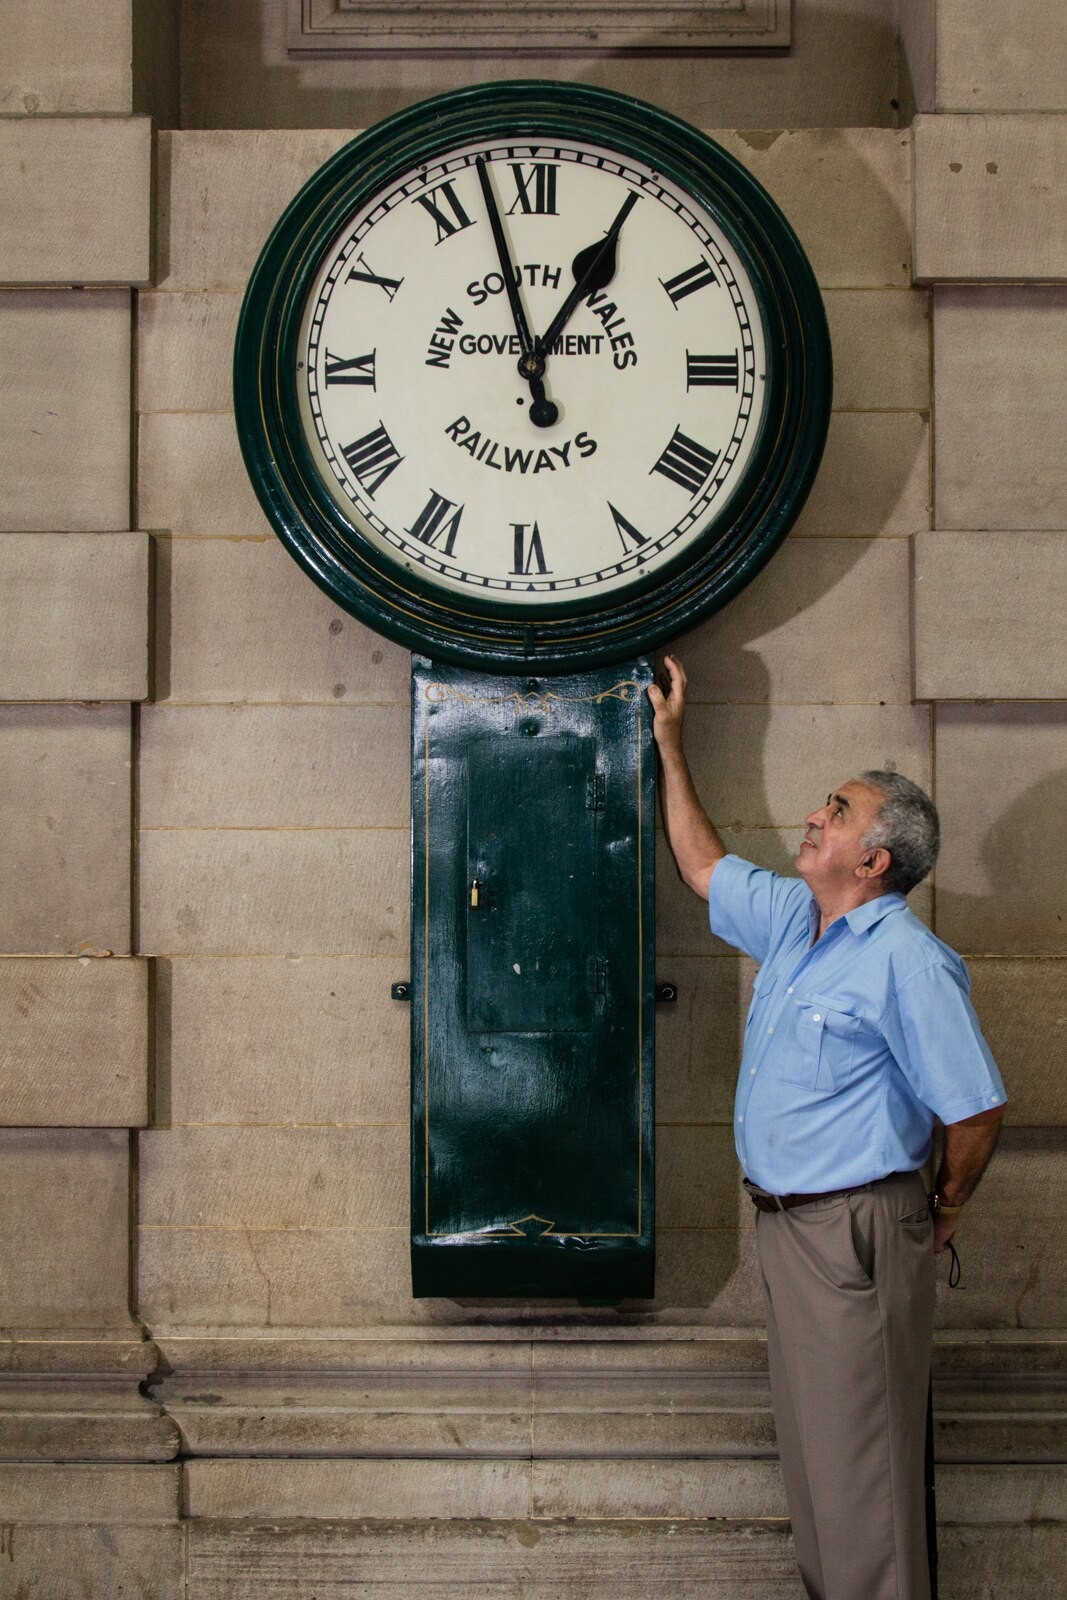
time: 12:57
